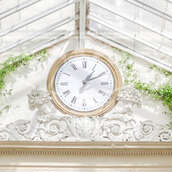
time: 1:10
